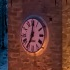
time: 7:00
